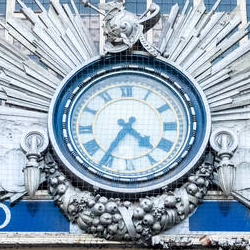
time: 4:35
